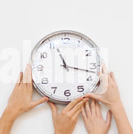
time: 11:17
